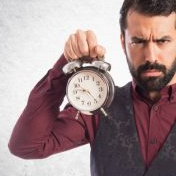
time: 9:23
